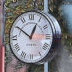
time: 12:50
